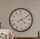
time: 4:10
